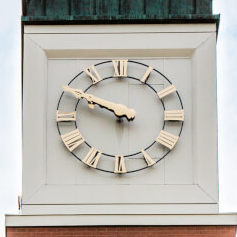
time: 9:50
